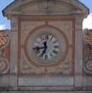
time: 11:42
